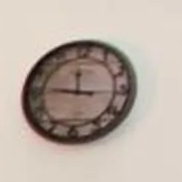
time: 11:46
